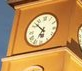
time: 6:52
